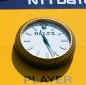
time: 11:26
